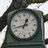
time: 12:42
